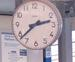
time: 2:38
